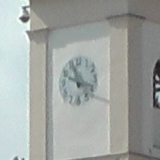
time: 11:18
